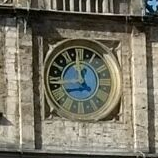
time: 11:43
